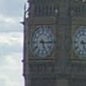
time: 5:15
